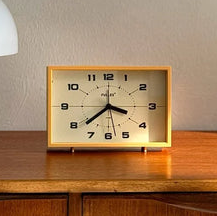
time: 3:38
